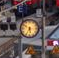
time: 5:34
